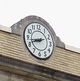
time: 8:42
